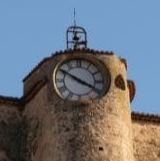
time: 3:50
